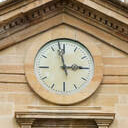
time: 2:58
